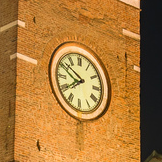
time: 7:50
